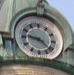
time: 9:21
